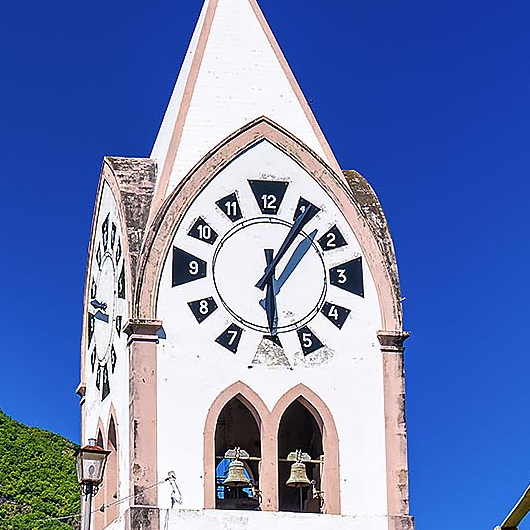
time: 6:06
